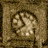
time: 10:39
